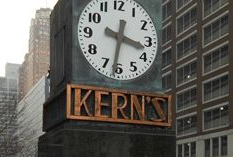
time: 3:31
